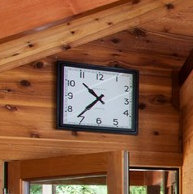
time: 10:36
